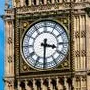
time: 3:30
